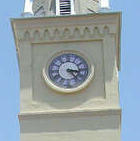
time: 3:23
